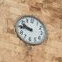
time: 9:45
